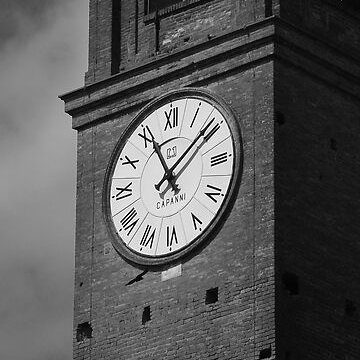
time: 11:08
